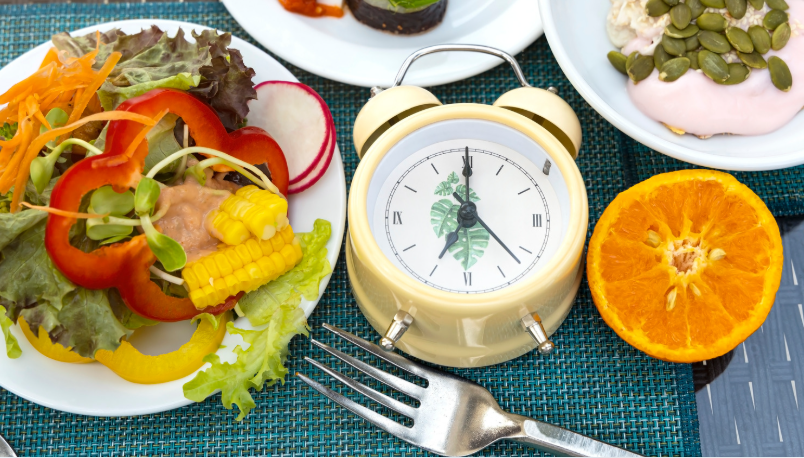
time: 7:00
